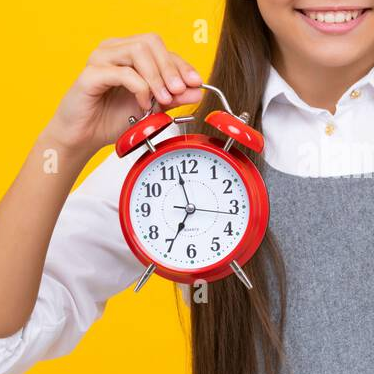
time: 6:57
